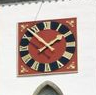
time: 1:52
